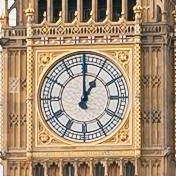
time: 1:00
